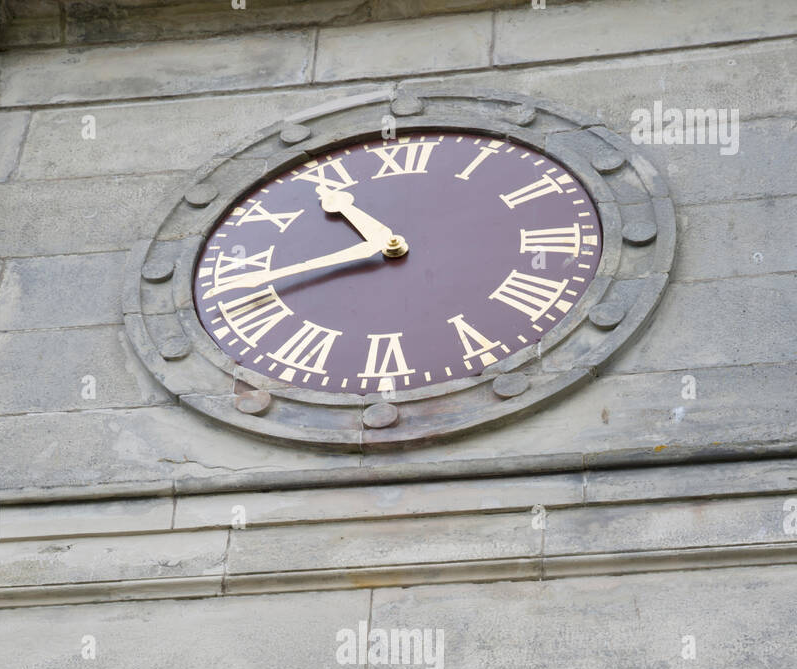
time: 10:42
